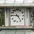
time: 4:46
